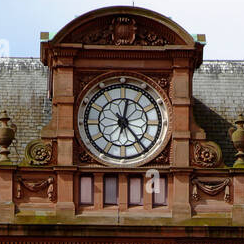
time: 12:23
